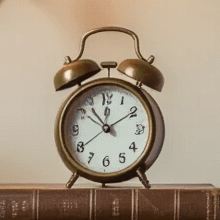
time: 11:52
